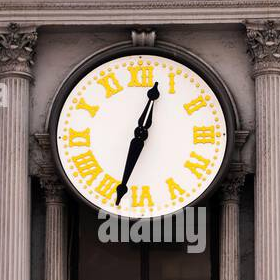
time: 12:32
